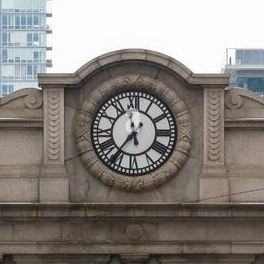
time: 11:35
